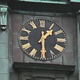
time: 1:29
